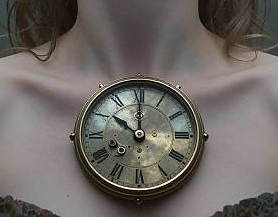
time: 10:00
